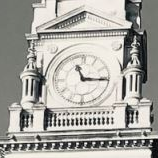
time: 11:15
